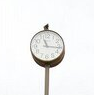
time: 11:16
